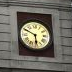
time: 5:49
